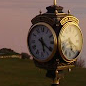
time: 5:20
